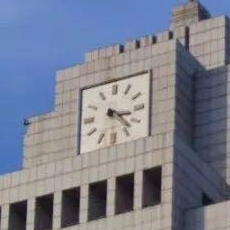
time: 3:22
